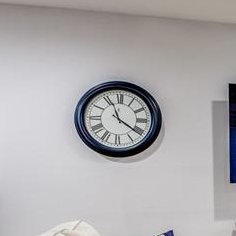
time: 11:20
